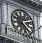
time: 2:21
